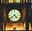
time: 4:38
